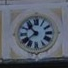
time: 10:38
